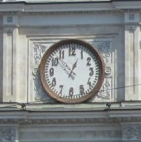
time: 12:52
